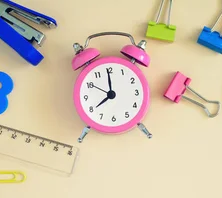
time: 7:59
